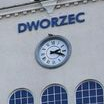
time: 2:18
